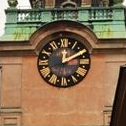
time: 12:09
